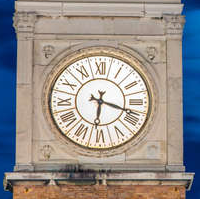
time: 6:18
